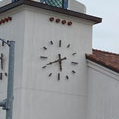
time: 5:40
